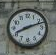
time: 8:12
